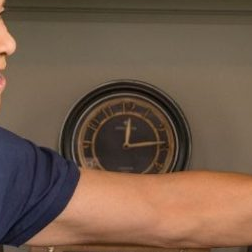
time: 12:14
